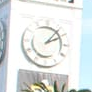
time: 2:06
